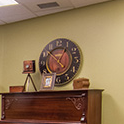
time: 12:52
